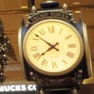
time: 7:51
